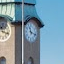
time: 11:17
